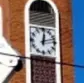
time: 12:12
